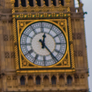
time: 12:23
